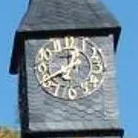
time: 7:40
